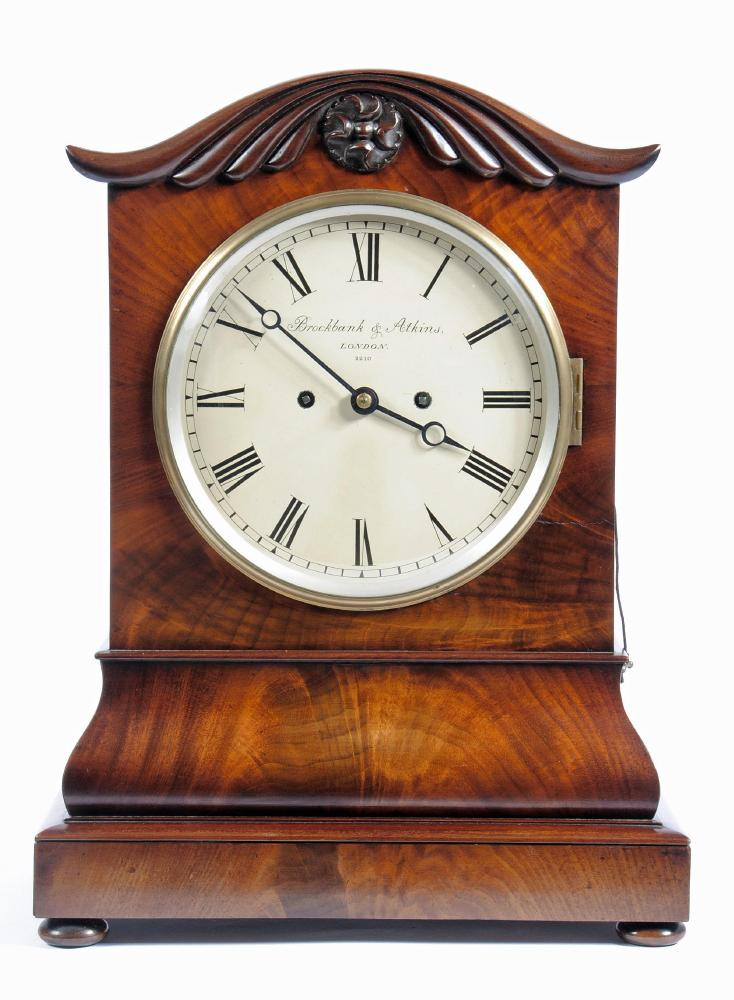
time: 3:51
